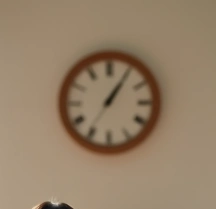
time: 1:05
